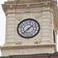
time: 1:37
